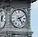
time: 2:24
